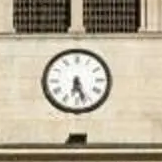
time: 6:26
